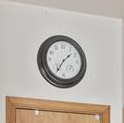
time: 1:35
